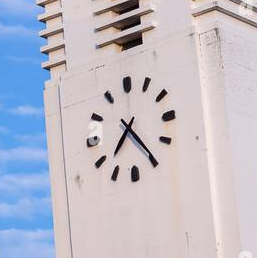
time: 7:24
